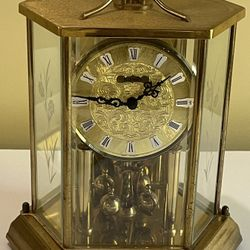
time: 1:46
